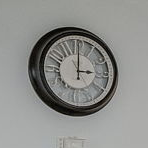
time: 3:00
